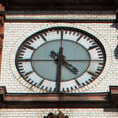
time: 4:30
